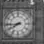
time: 7:44
